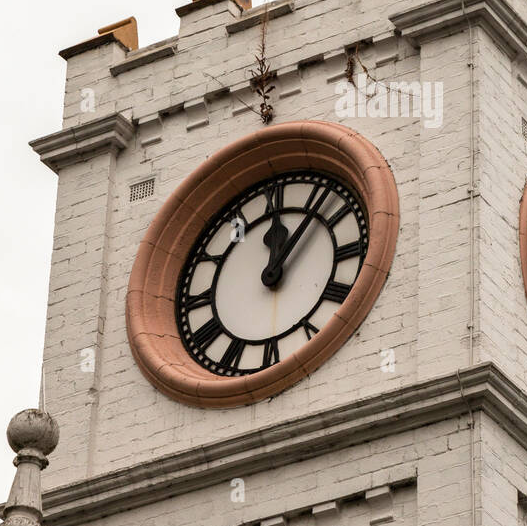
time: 12:06
